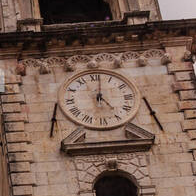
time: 5:01
